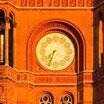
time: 7:33
